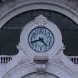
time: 4:42
